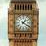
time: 1:20
